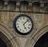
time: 5:07
